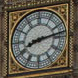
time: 8:13
